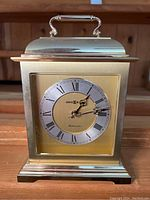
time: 1:13
